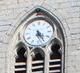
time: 5:24
